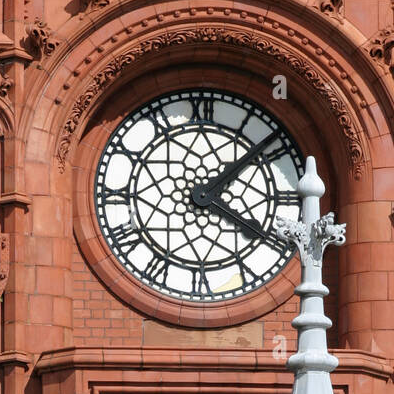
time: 4:08
